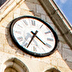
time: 4:34
